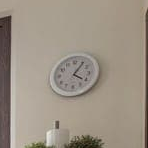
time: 4:05
